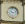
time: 10:12
